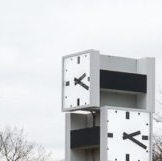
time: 2:18
